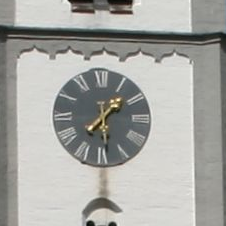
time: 1:29
